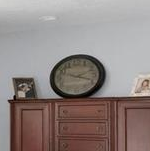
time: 2:18
